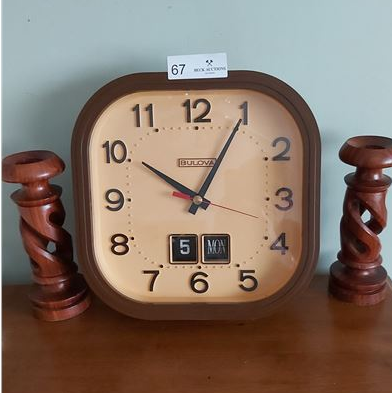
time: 10:05
